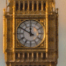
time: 11:49
